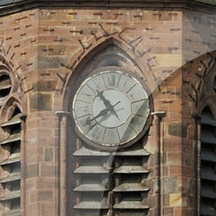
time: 10:39
